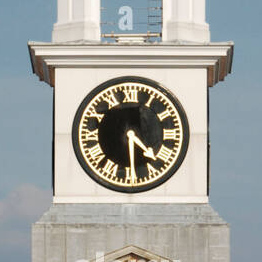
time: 4:29
